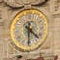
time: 4:30
